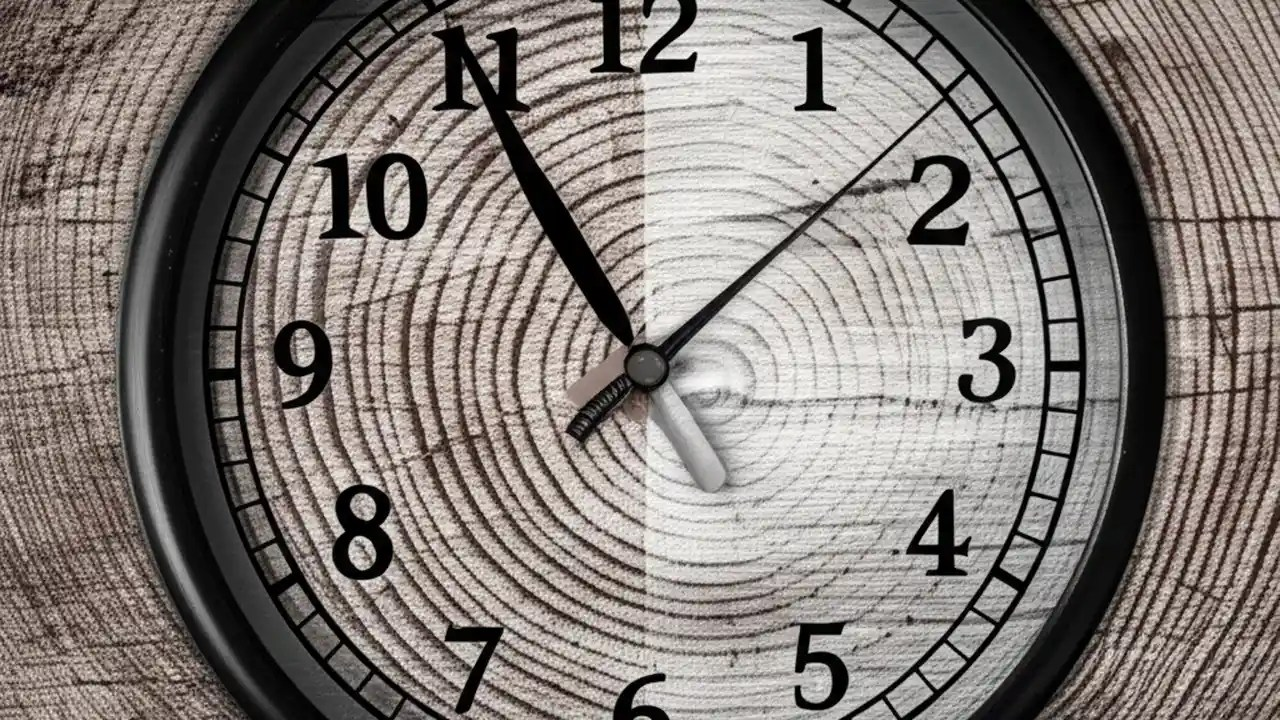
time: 11:08
